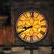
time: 8:40
